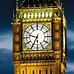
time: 9:34
